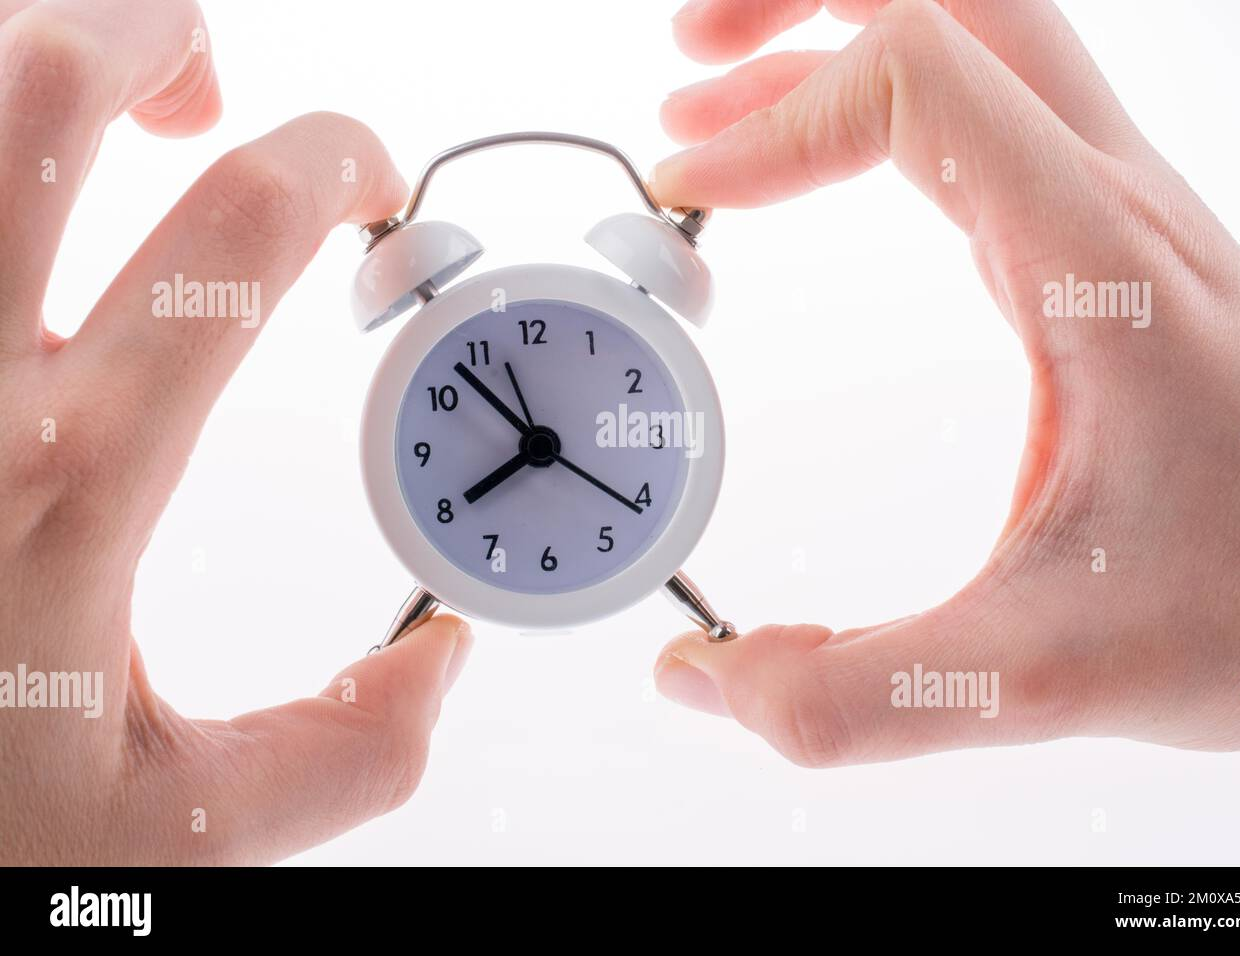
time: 7:53
